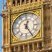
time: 12:24
